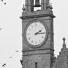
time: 2:15
